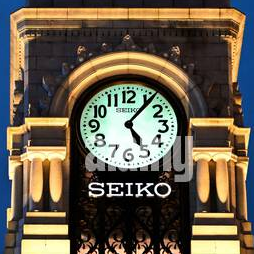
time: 5:06
